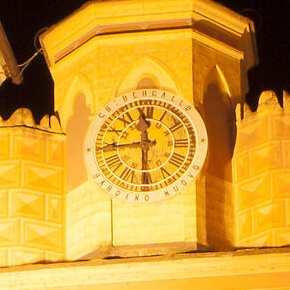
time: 11:44
